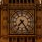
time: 7:24
